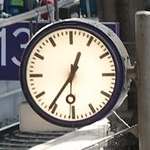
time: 12:35
